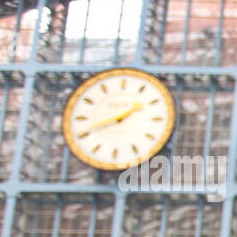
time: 1:41
